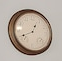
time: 12:40
